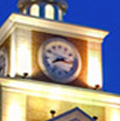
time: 8:16
